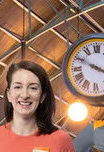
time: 3:49
